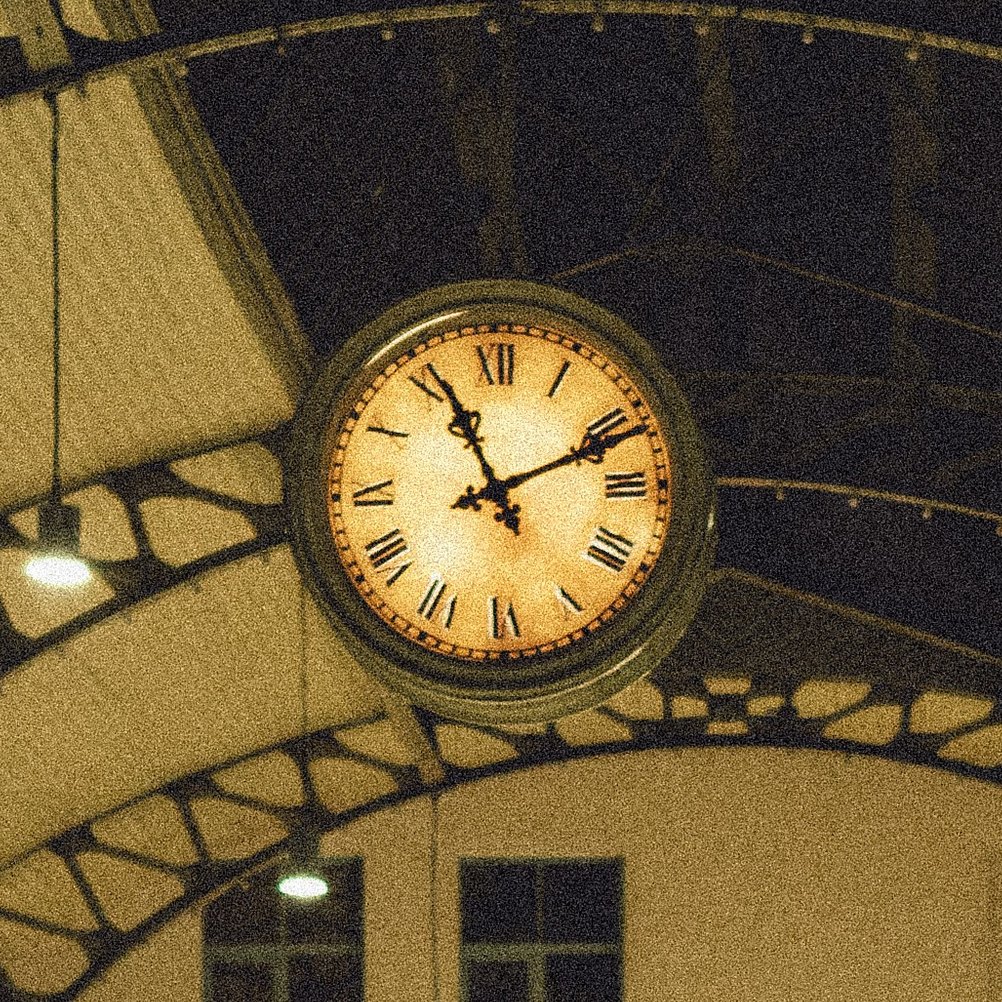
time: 11:11
